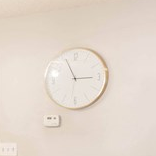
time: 2:55
